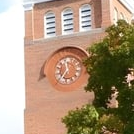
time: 11:35
